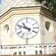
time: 10:48
